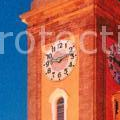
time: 9:12
